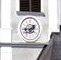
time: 1:43
